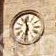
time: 11:32
